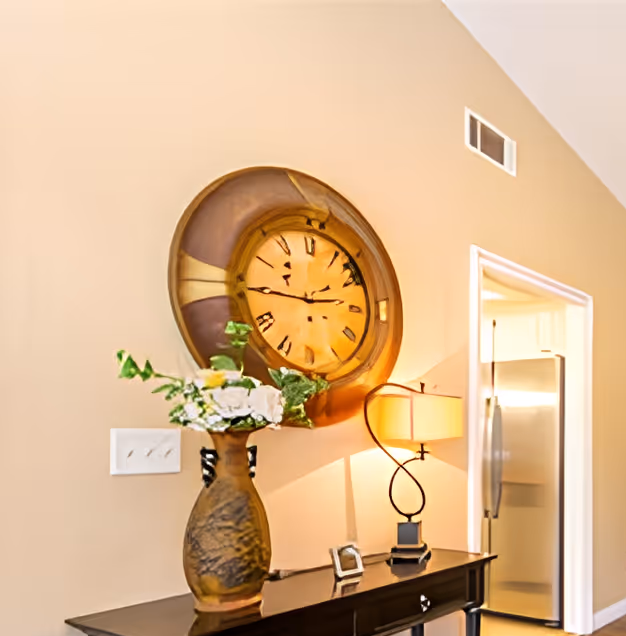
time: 2:45
